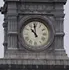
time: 10:59
